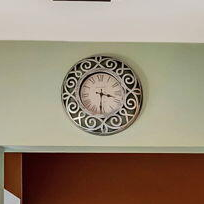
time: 3:30
